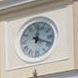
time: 12:18
